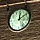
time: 12:09
